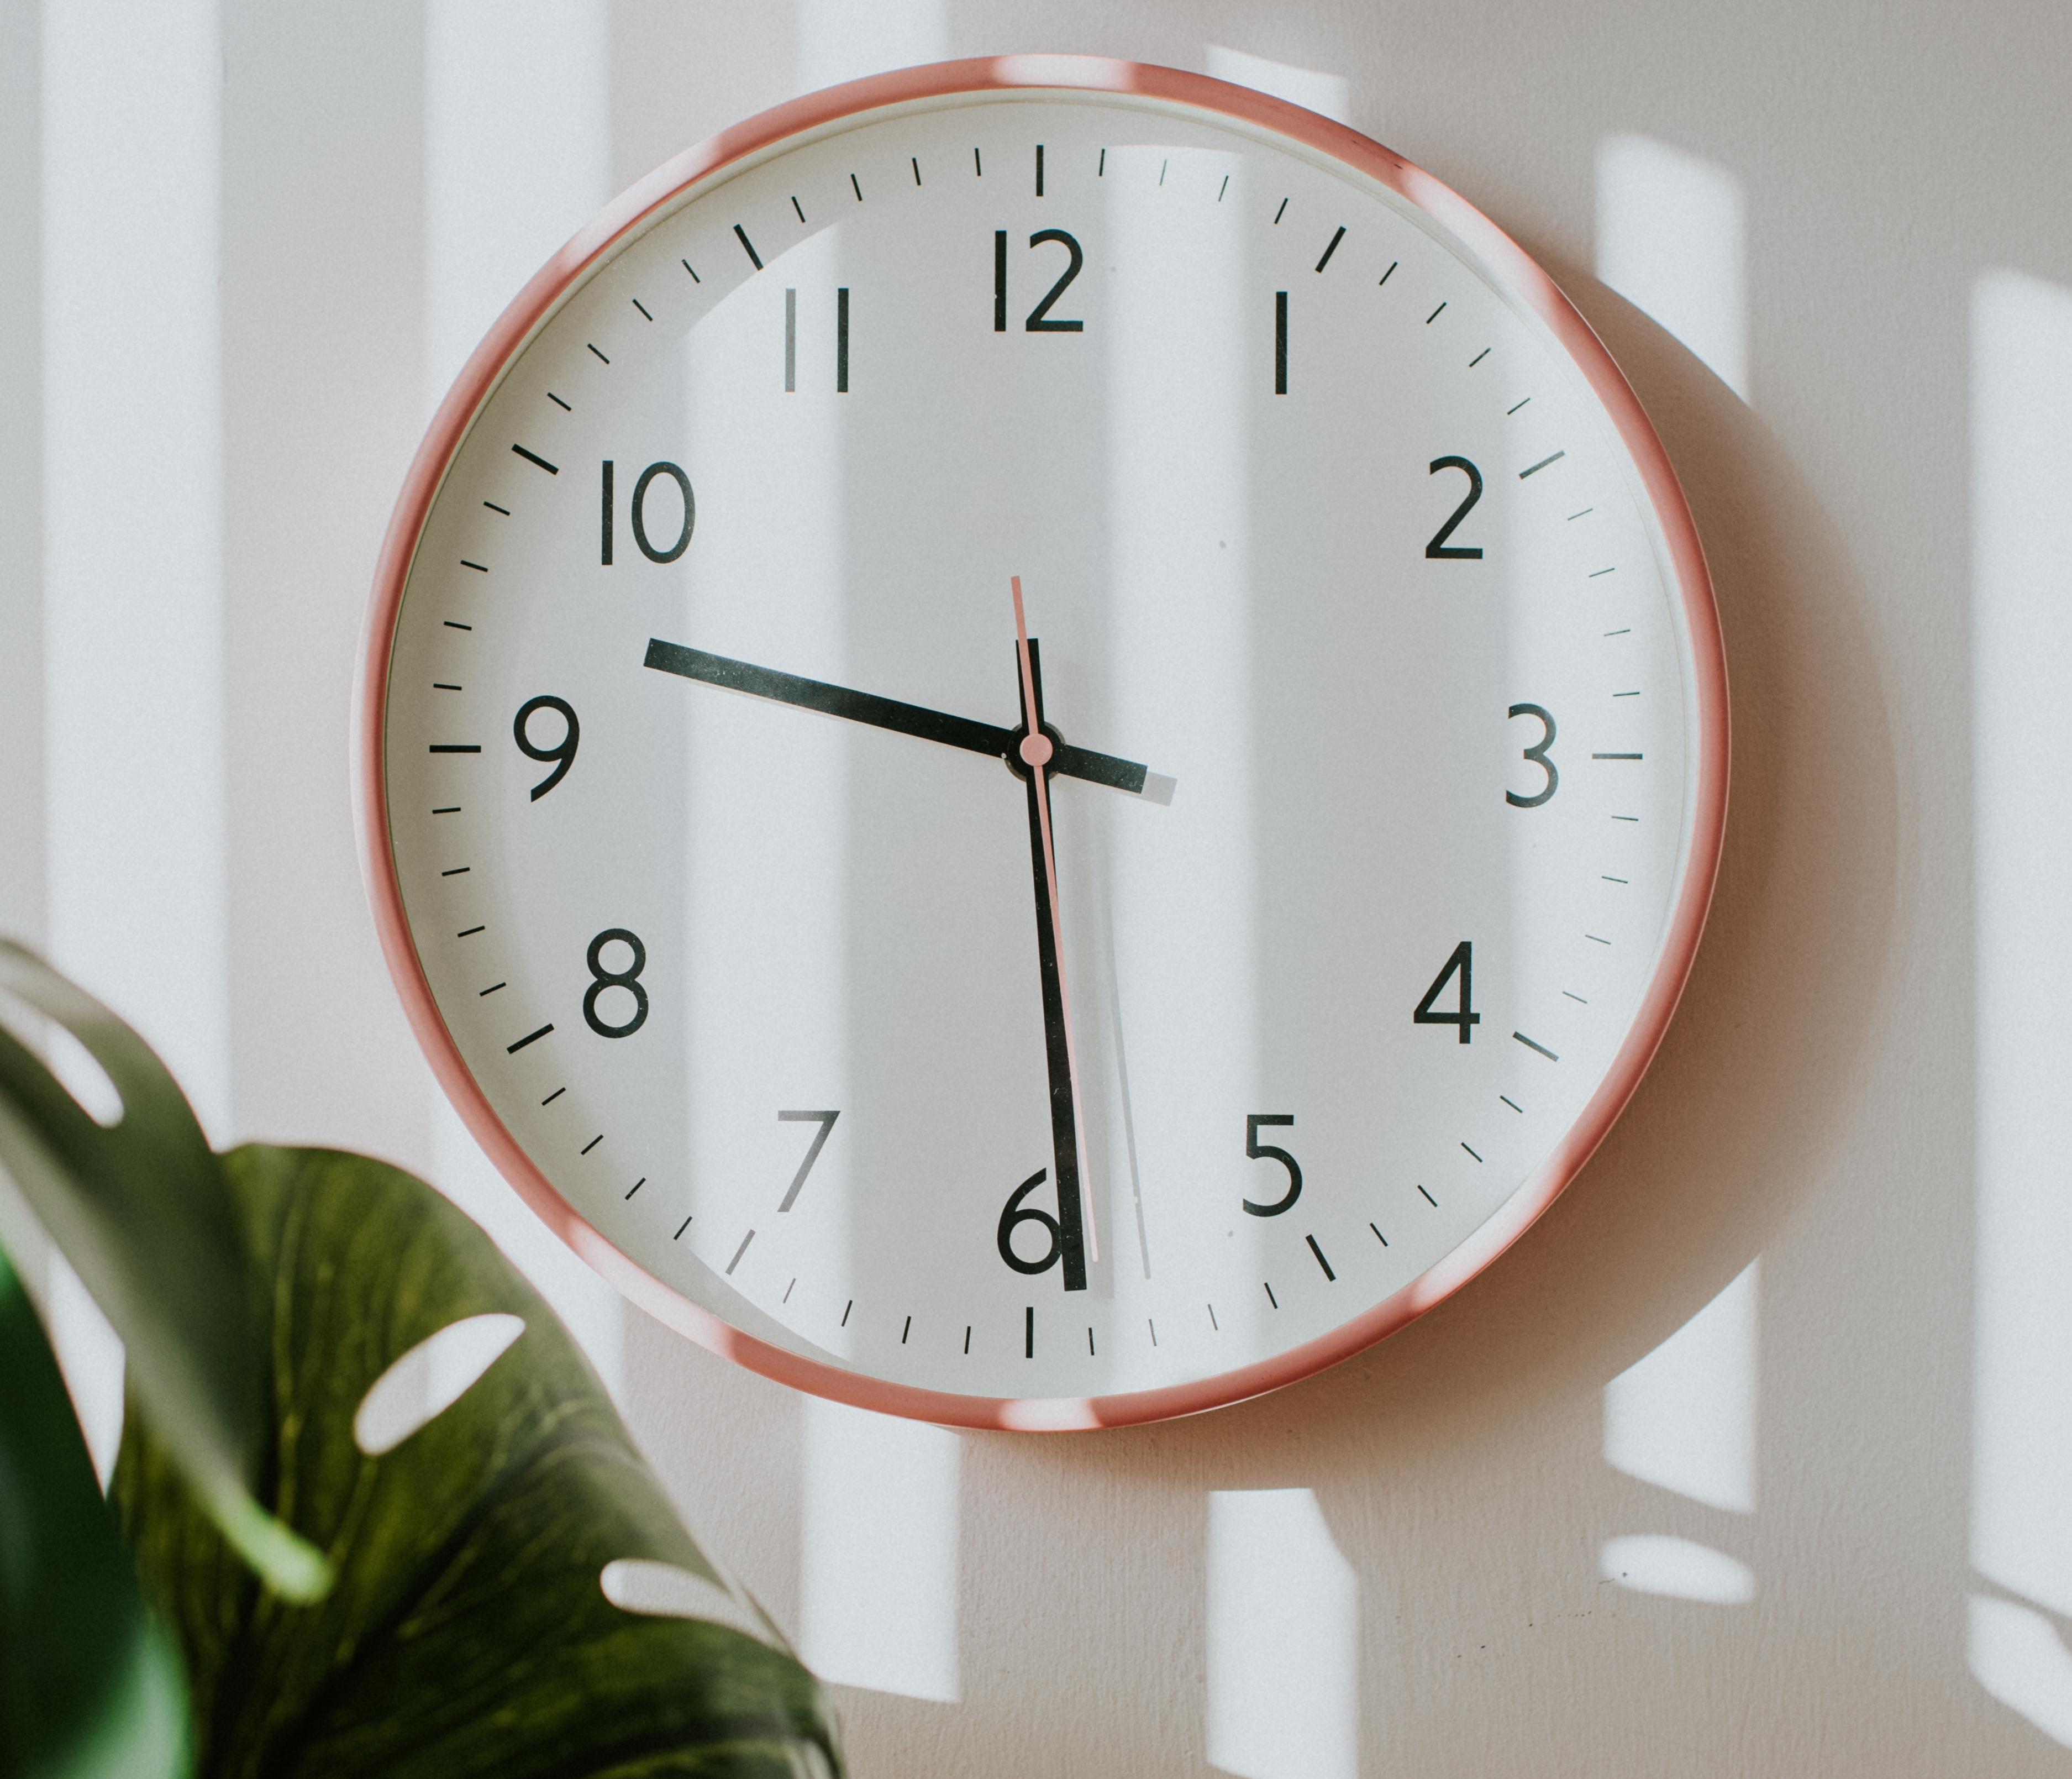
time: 9:29
